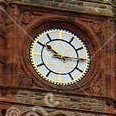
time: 10:14
